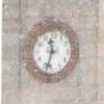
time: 11:32
